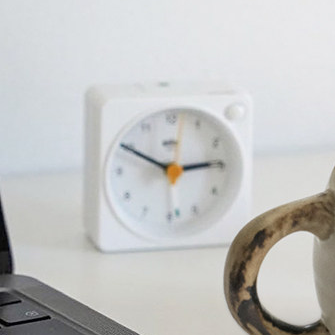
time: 2:49
